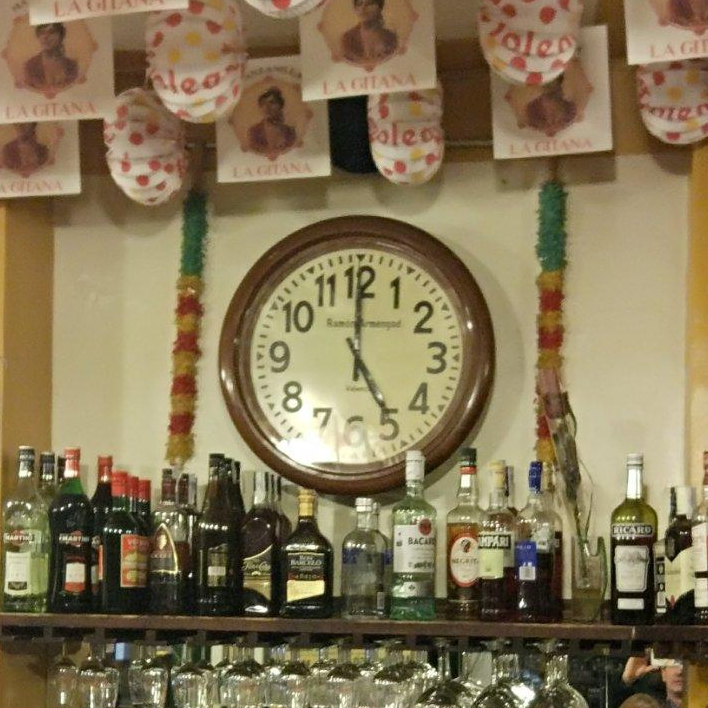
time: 5:00
